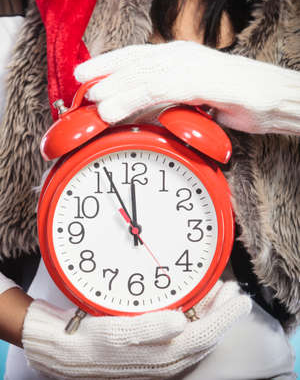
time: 11:55
